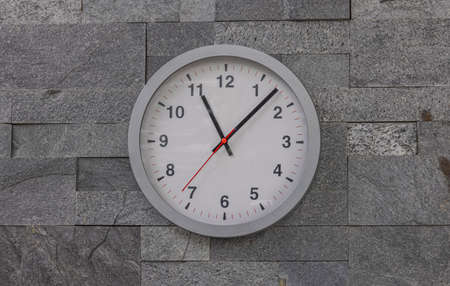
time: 11:07
